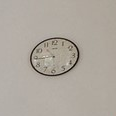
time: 10:44
